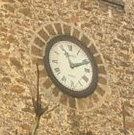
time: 11:11
